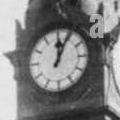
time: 12:04
